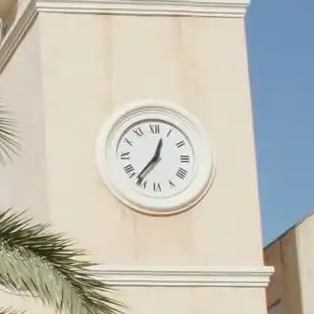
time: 12:36
